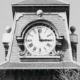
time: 2:58
